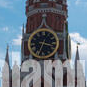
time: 3:33
